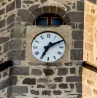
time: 7:10
